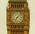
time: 7:07
